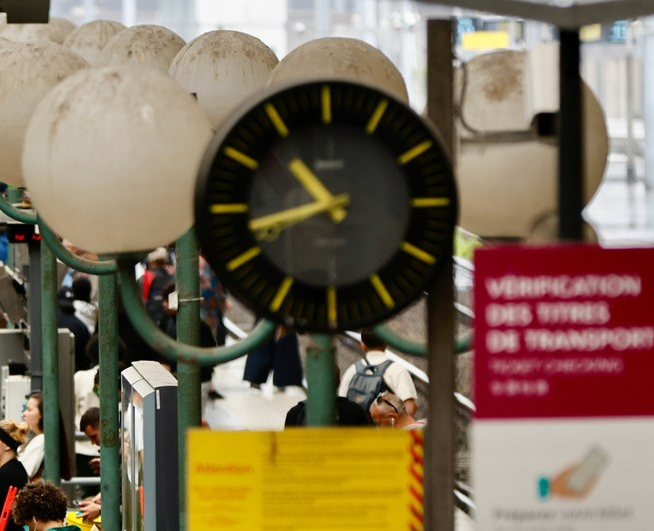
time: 10:42
